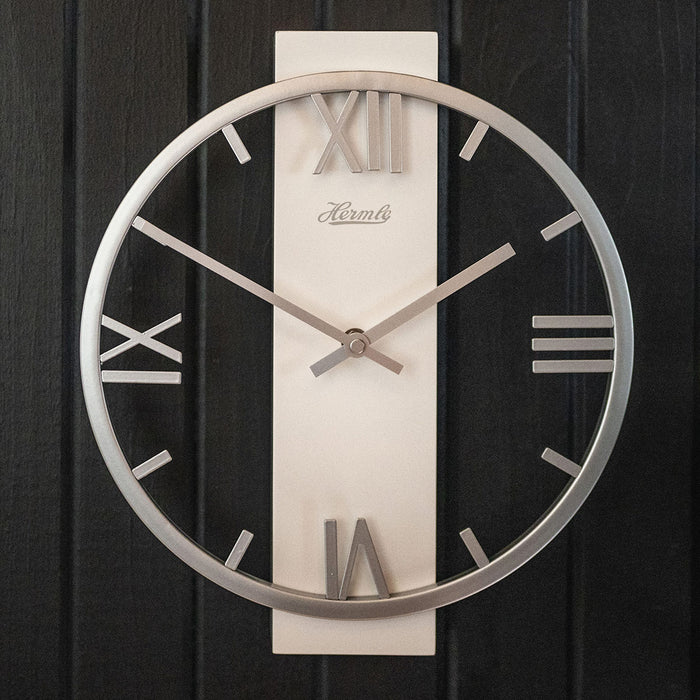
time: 1:50
